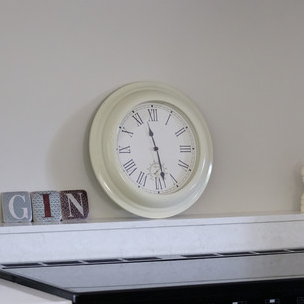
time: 11:28
